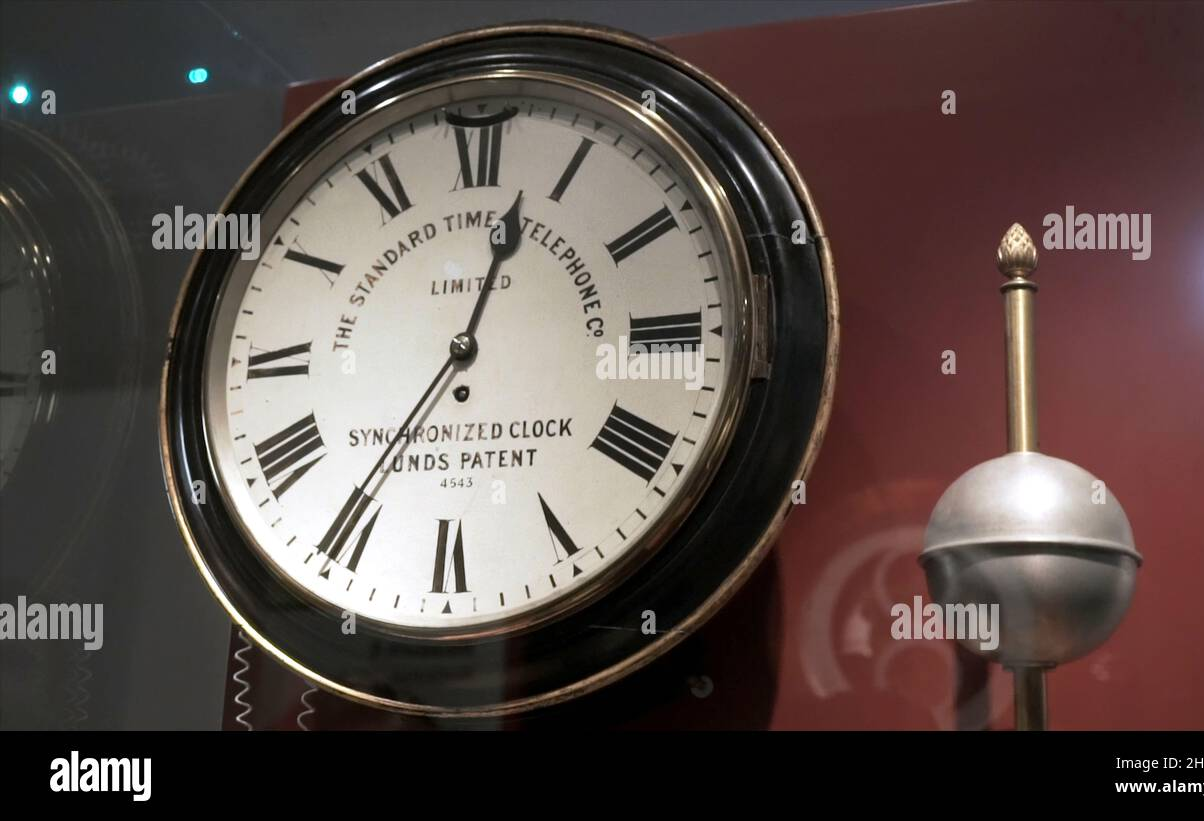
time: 12:35
